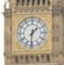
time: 1:31
